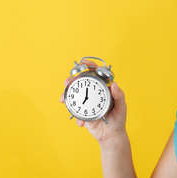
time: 7:00
